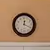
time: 12:19
